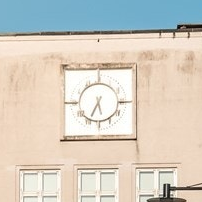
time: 5:34
